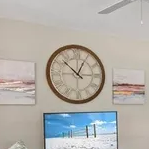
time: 12:52
